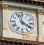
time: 3:57
